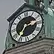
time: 2:35
